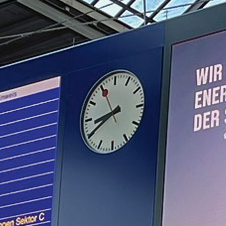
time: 8:39
